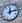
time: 12:12
